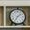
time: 7:08
